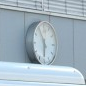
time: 5:54
